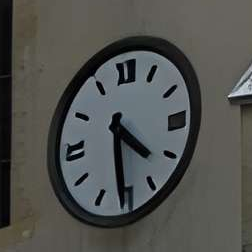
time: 4:29
